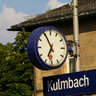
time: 6:55
